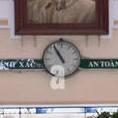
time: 10:55
